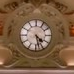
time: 4:27
